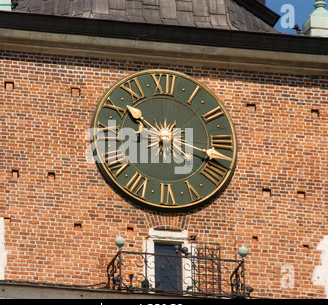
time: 10:17
